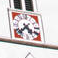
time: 4:37
